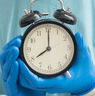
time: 8:00
